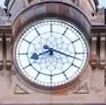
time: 8:17
